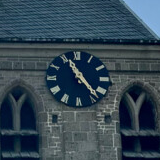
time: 11:23
